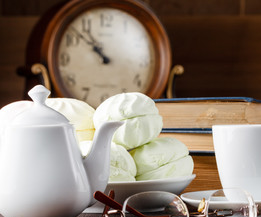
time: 10:52
